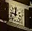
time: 11:46
